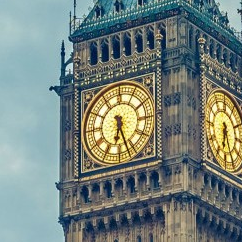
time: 6:26
